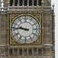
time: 9:45
